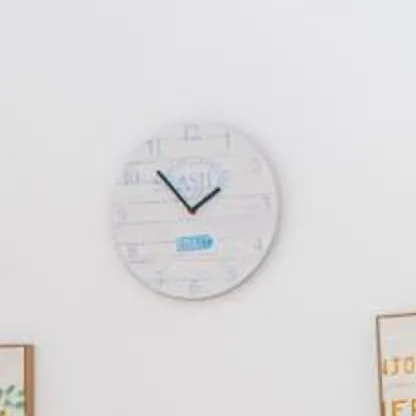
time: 1:53
